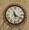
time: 11:19
